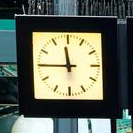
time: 11:44
